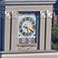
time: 5:18
